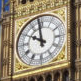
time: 9:57
